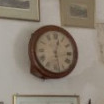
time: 12:28
